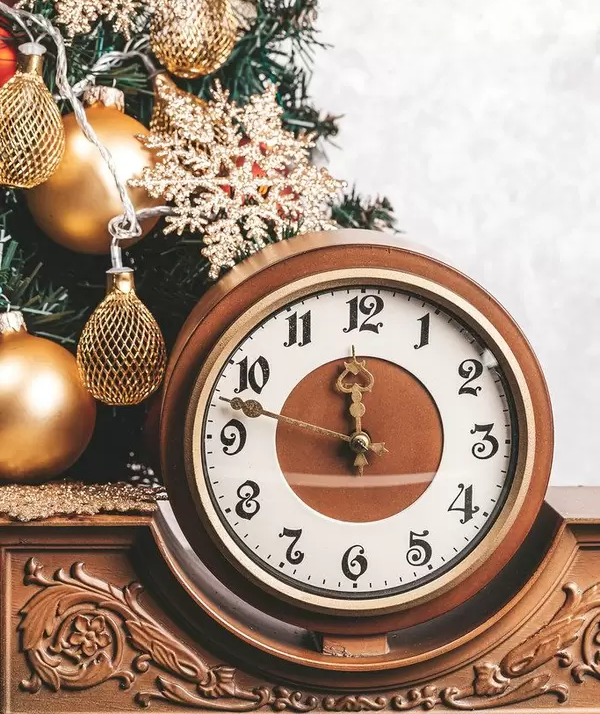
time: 11:47
